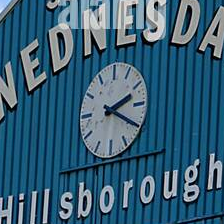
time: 2:19
